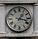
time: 1:16
